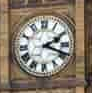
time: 2:18
